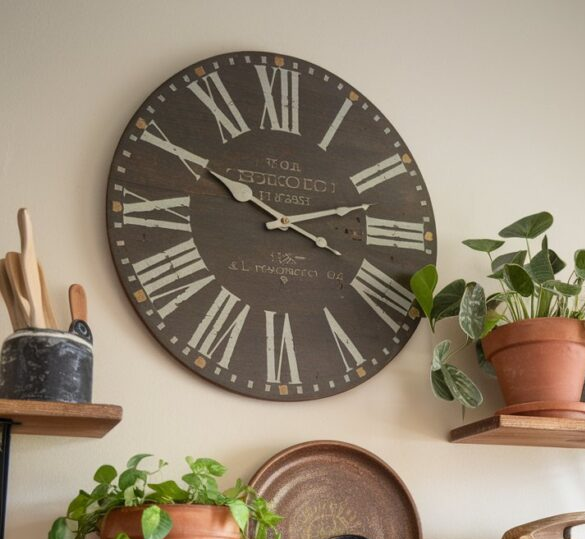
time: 10:12
